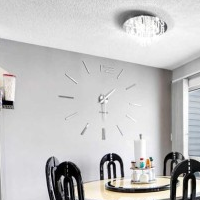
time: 1:29
